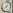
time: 7:37
